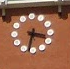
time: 3:32
